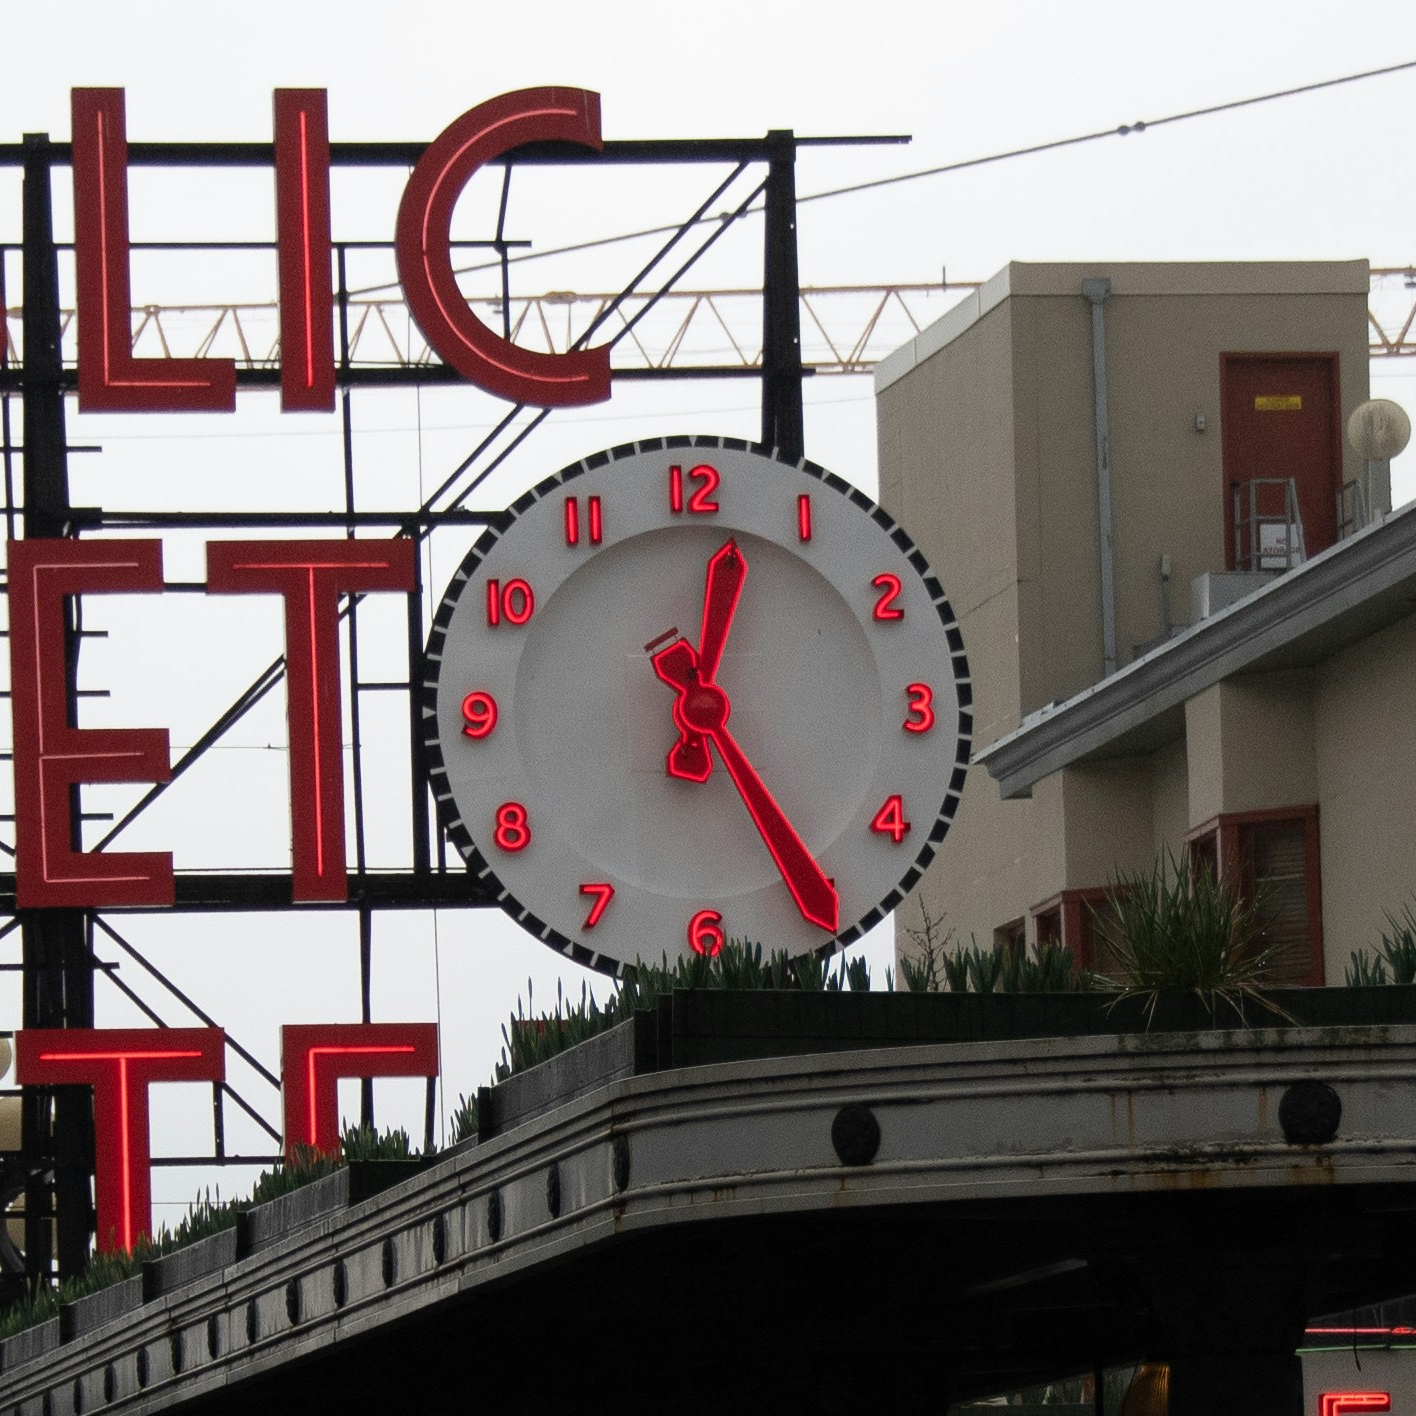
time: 12:24
